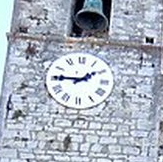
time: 1:45
